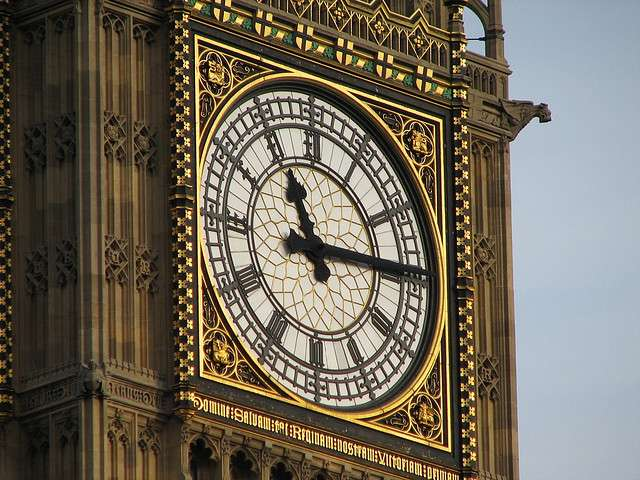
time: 11:13
